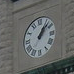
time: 1:07
